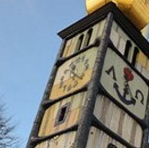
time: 11:21
